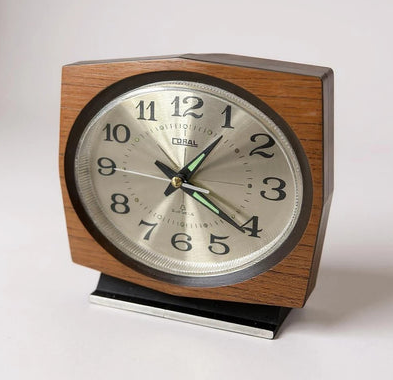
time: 1:21
